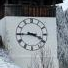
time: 3:44
